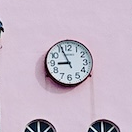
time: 8:56
